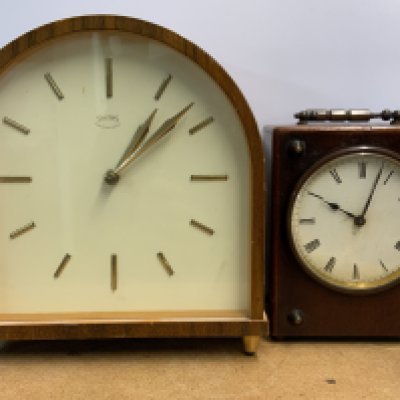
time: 1:08
